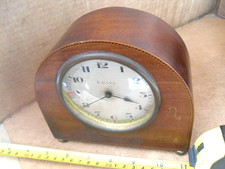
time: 3:39
